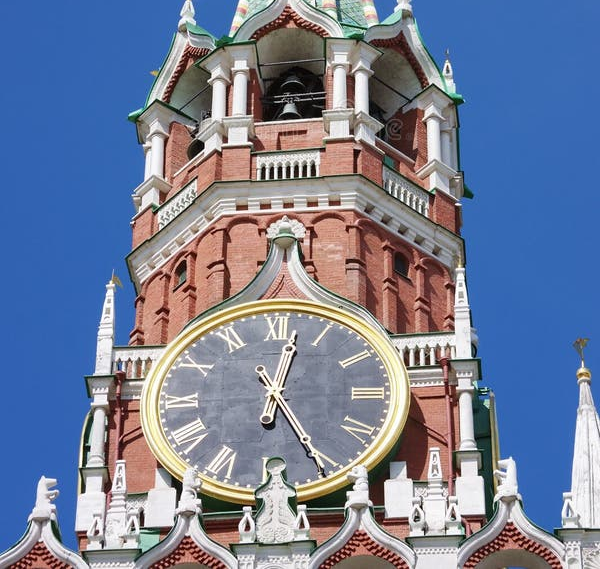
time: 12:25
